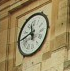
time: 11:43
